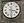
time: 3:29
